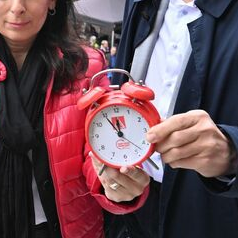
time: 11:54
